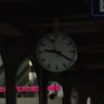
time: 9:20
